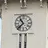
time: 10:37
